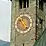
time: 4:52
